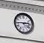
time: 2:45
